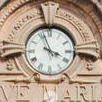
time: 3:56
